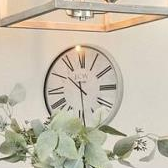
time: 10:28
